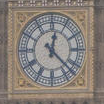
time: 12:22
